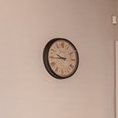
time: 9:44
